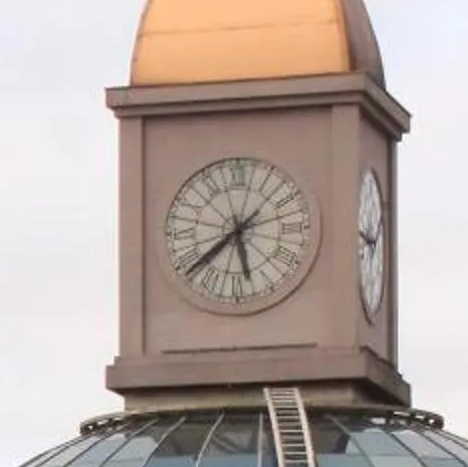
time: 5:38
